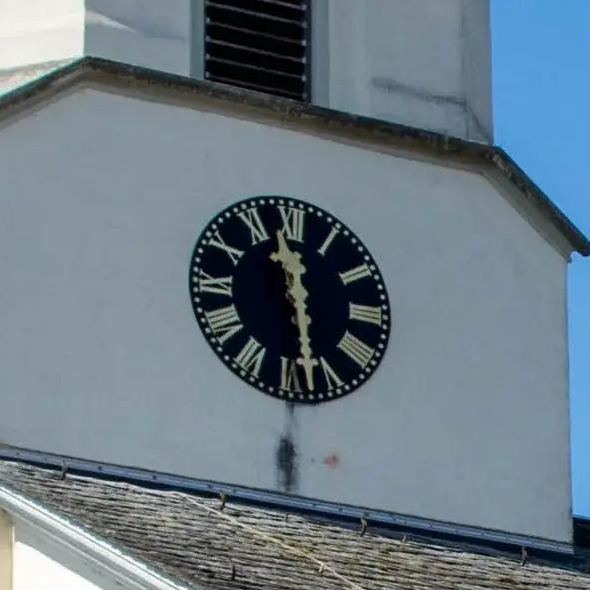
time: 11:28
